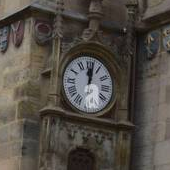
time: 12:01
